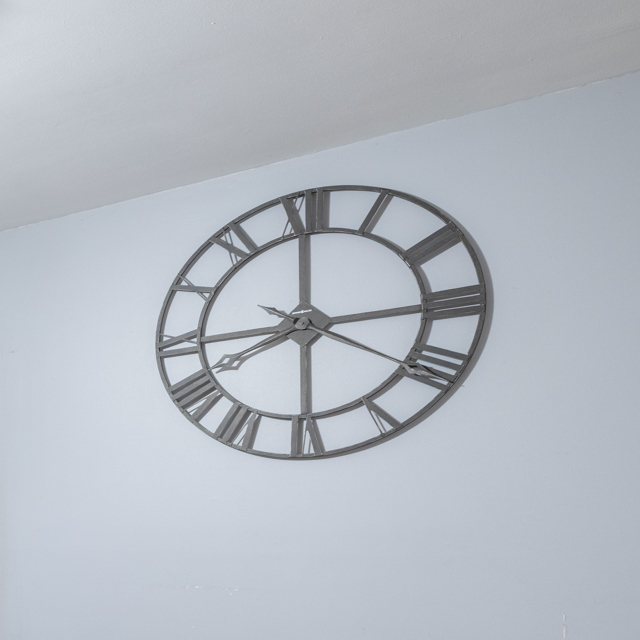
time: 8:14
